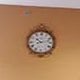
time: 10:12
